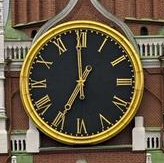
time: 6:59
